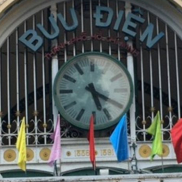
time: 5:19
